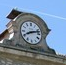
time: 8:12
